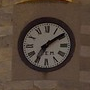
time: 7:09
